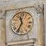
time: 11:35
